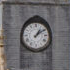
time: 1:09
